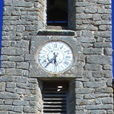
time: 5:36
